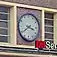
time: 3:39
